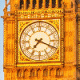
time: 7:18
